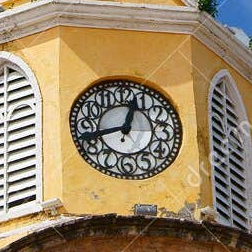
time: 12:42
